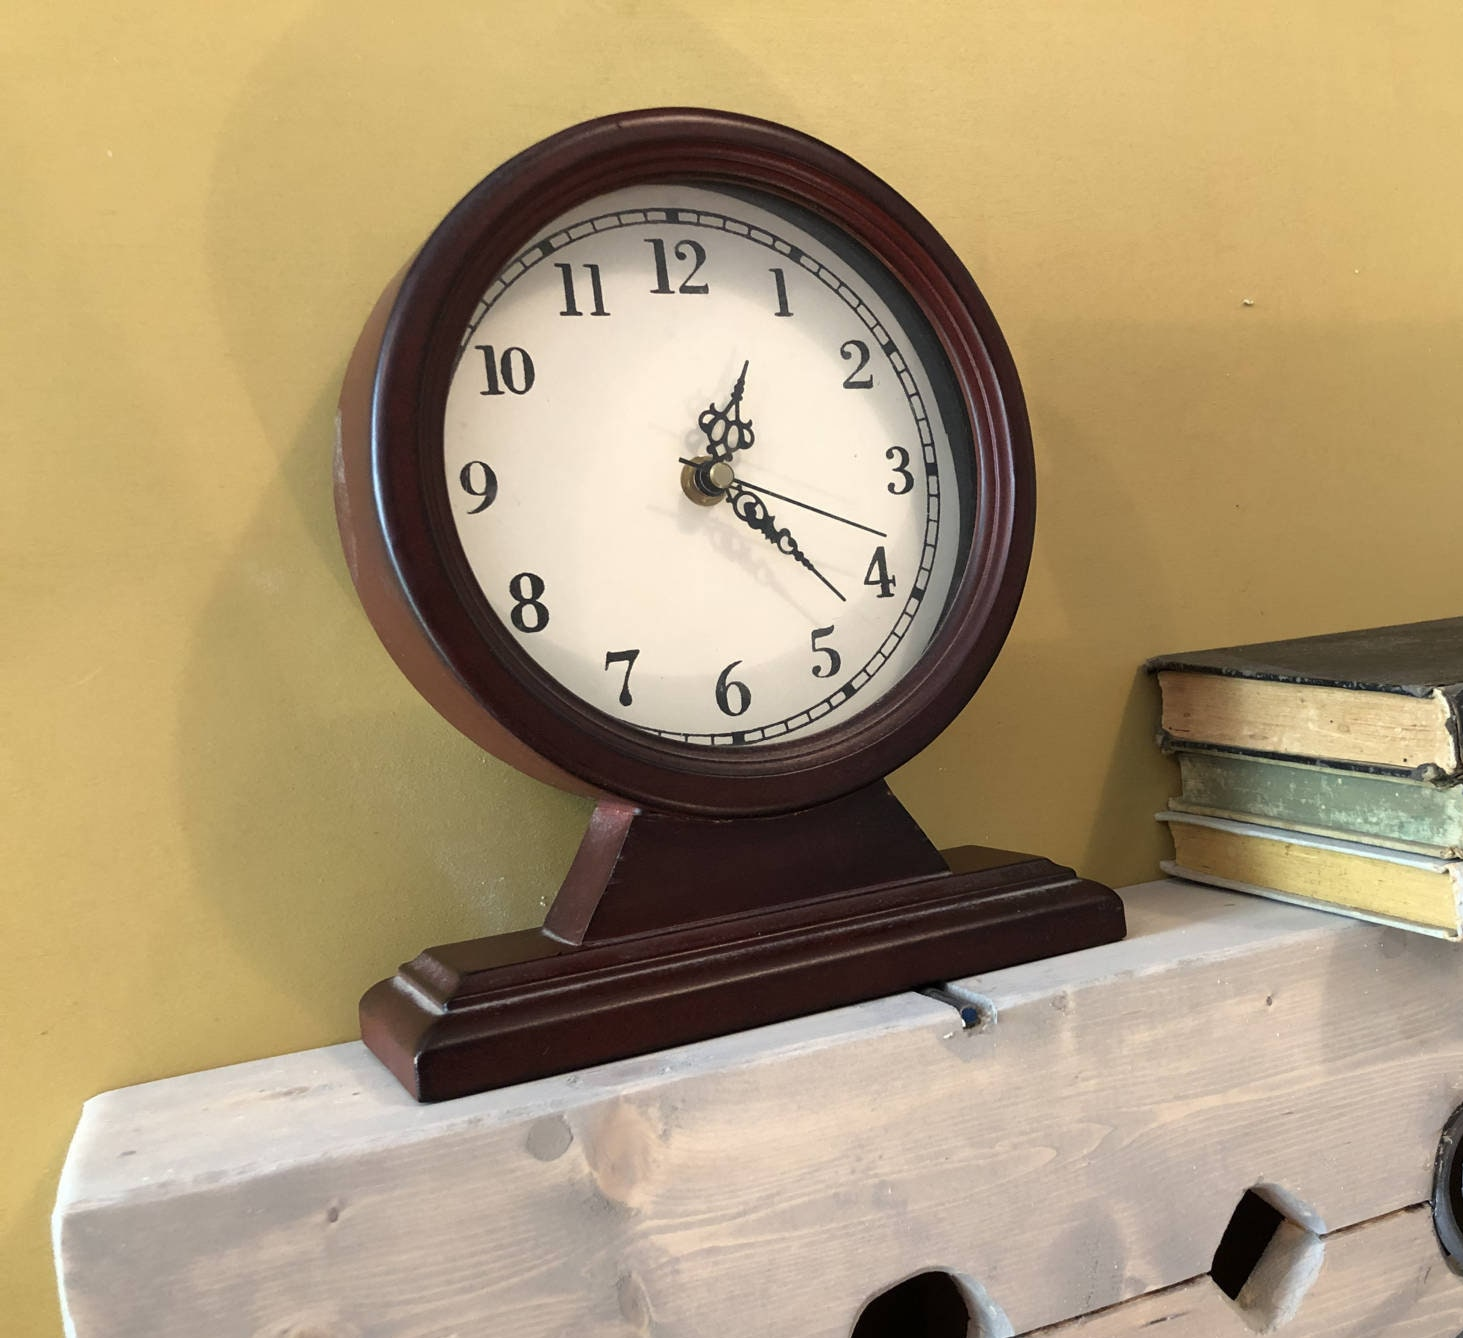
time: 1:21
